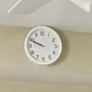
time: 9:48
